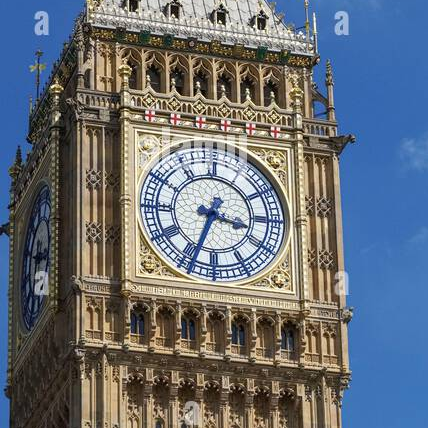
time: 3:33
